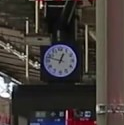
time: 12:47
